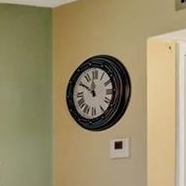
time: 11:50
